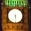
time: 5:29
